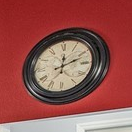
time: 12:11
